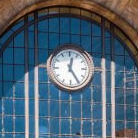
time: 12:24
